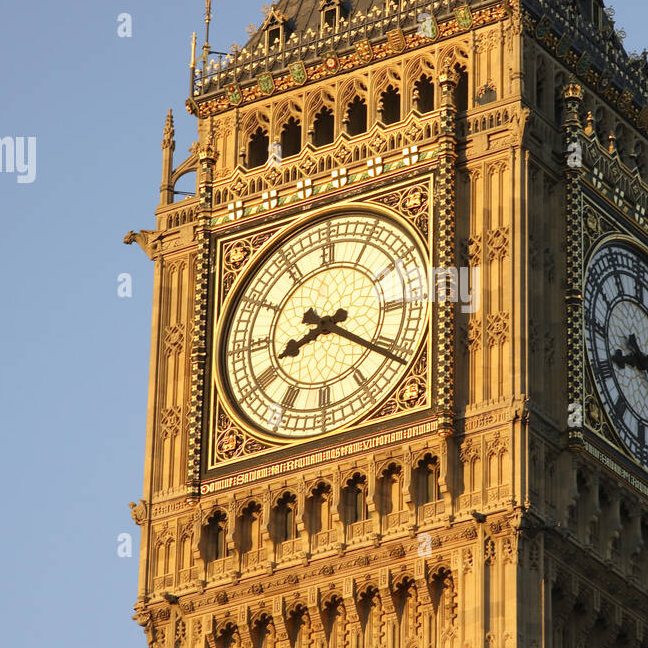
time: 8:20
